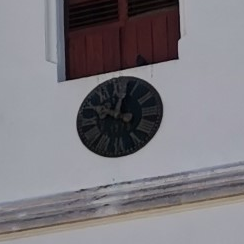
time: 10:02
